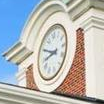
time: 8:47
